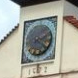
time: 2:21
